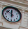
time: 11:52
